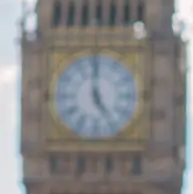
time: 4:59
